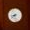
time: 8:38
